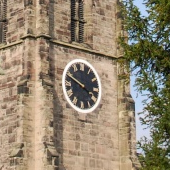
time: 3:48
